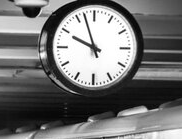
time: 9:56
